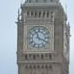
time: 11:18
